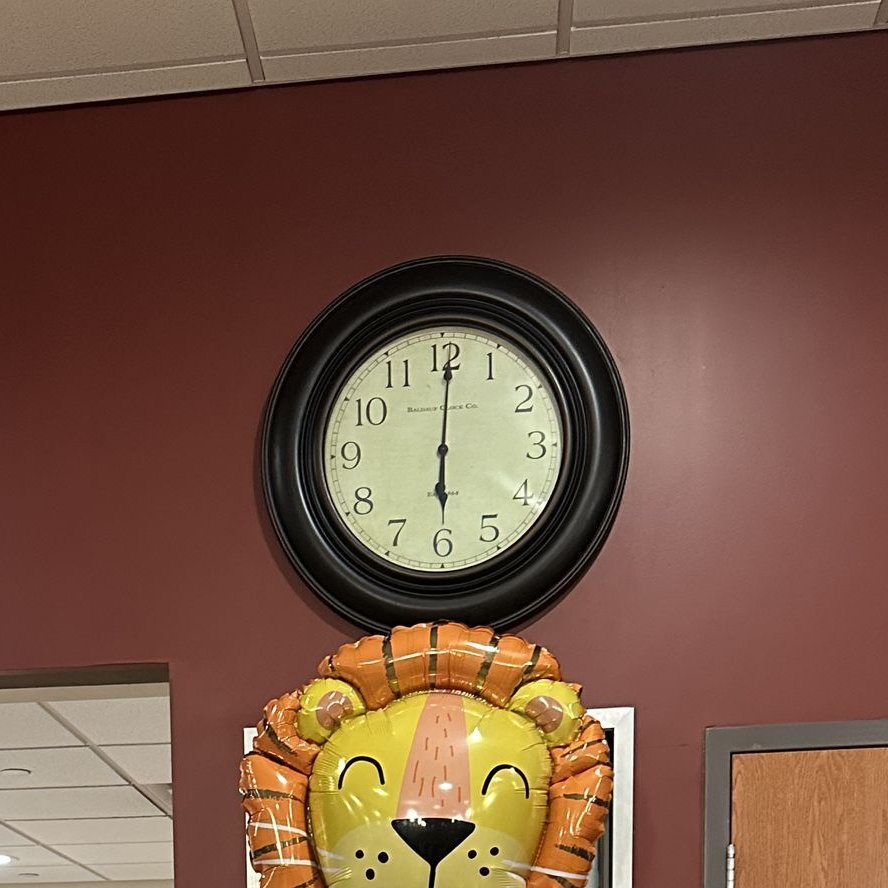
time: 6:00
